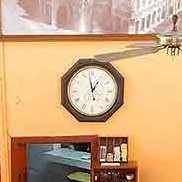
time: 12:58
